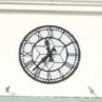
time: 11:36
